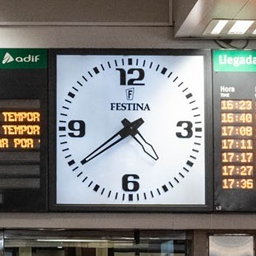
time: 4:38
